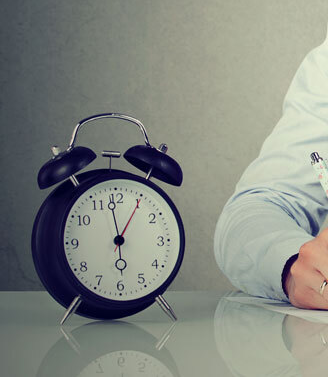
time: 5:59
